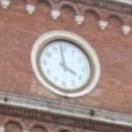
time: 3:58
